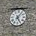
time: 5:06
